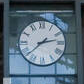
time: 2:38
